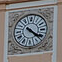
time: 4:20
